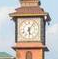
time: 6:06
